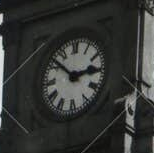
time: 2:52
